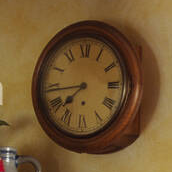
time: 7:43
